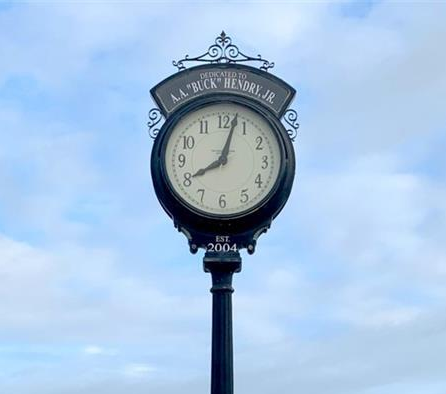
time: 8:02
